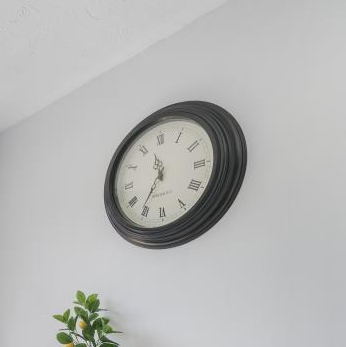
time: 11:35
